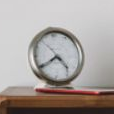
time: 4:39
